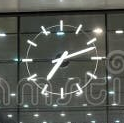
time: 7:12
